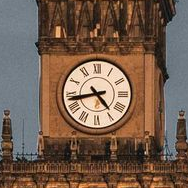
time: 4:42
